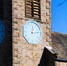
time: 12:13
